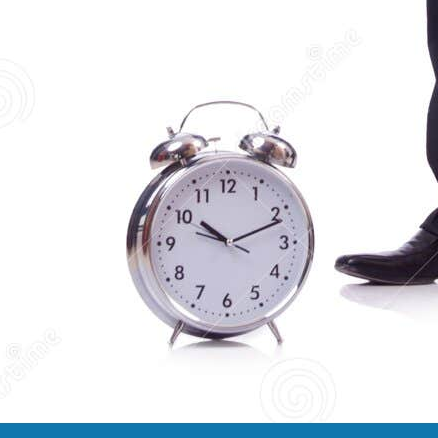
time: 10:11
